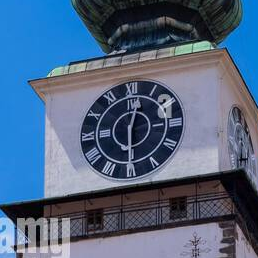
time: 12:30
